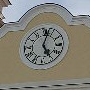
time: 5:02
